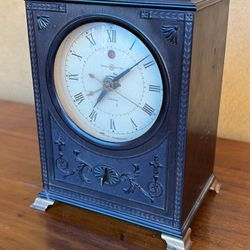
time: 7:08
